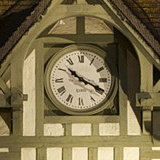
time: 10:19
